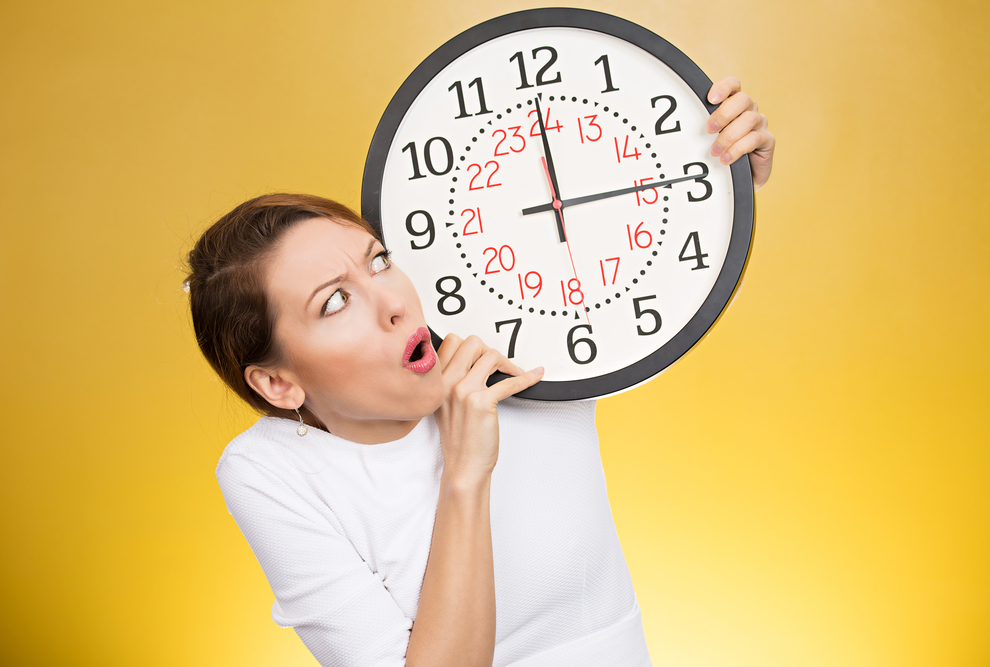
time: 2:59
